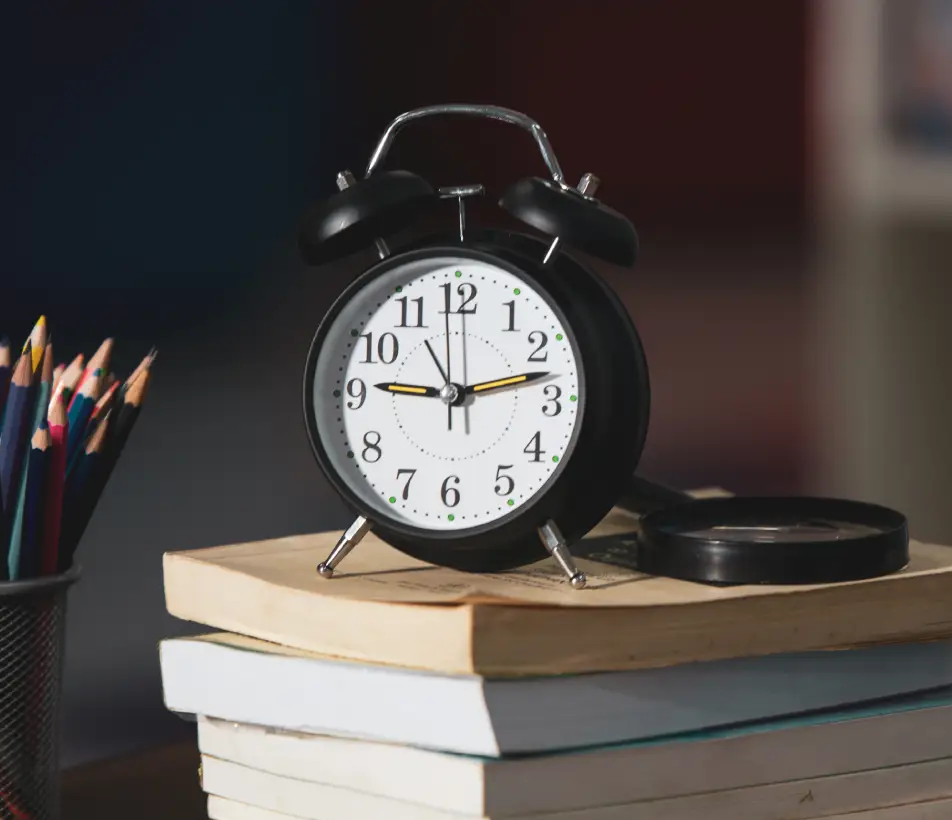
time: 9:12
